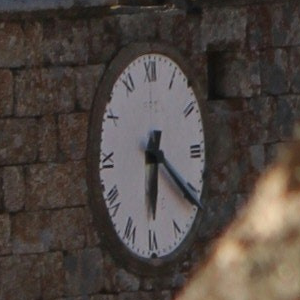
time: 6:21
